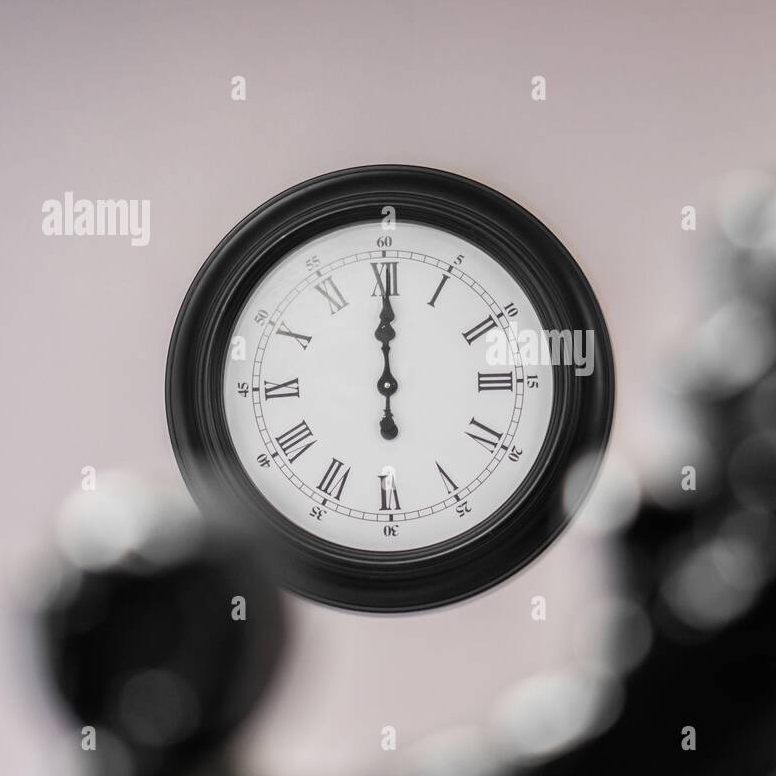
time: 11:59
